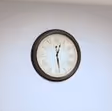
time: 12:28
